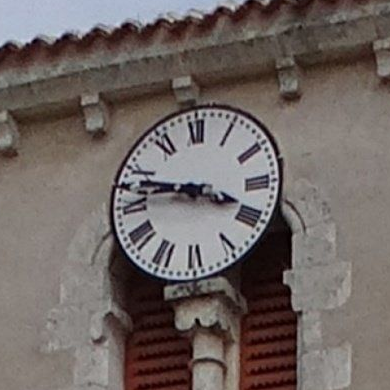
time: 3:47
